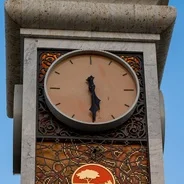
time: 5:29
